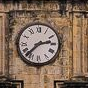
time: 2:37
